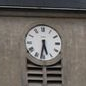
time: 5:31
